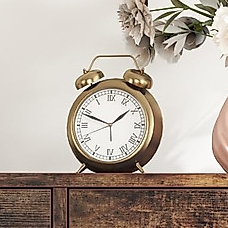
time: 1:48
